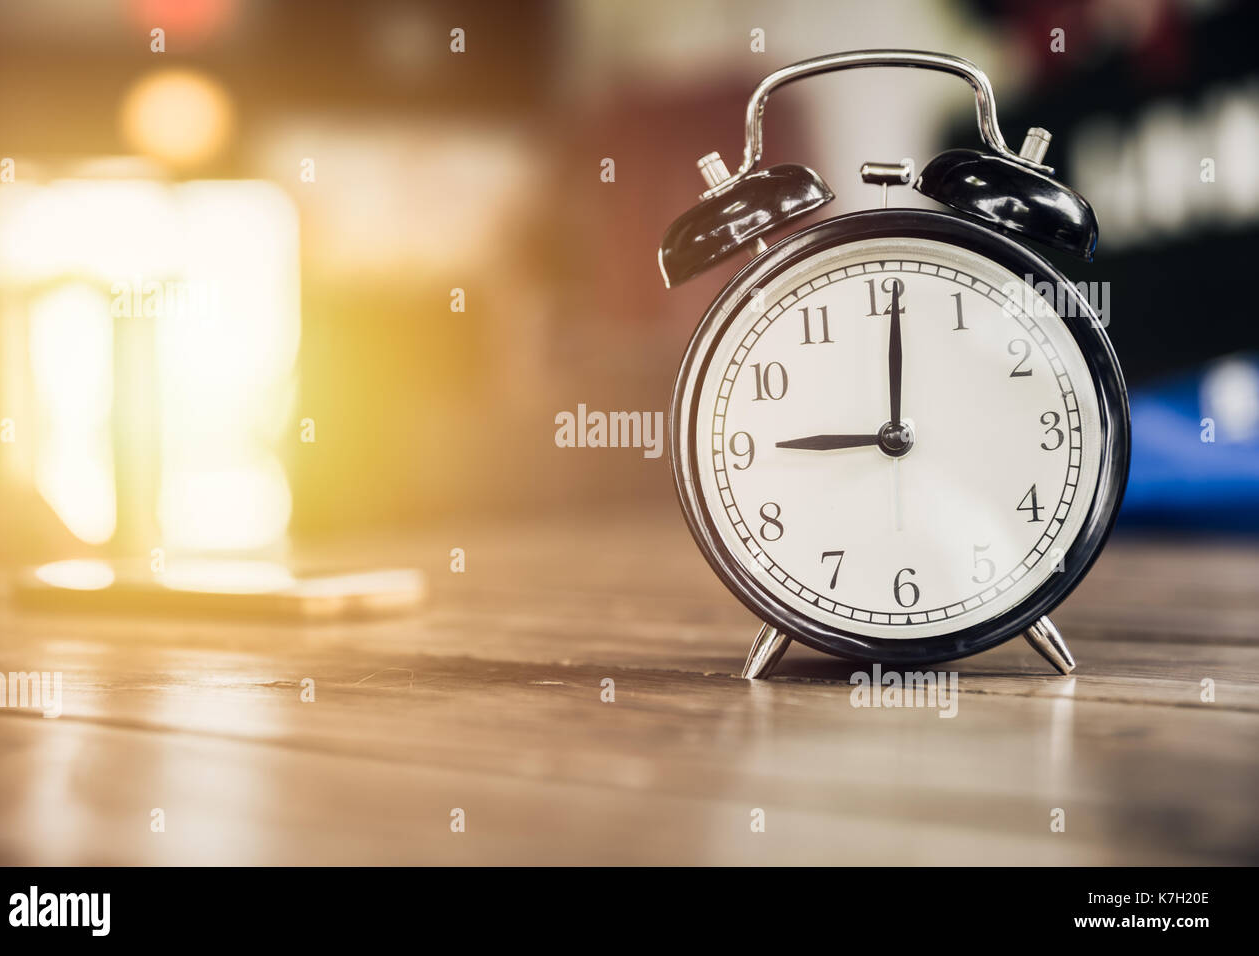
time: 9:01
